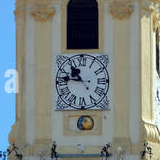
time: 10:45
